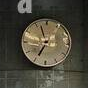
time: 6:56
